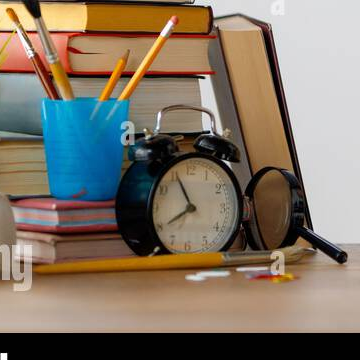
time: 7:55
